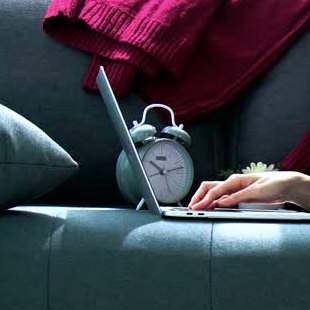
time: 10:12
